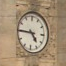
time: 4:45
